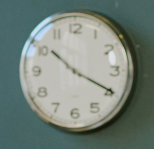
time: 10:19
